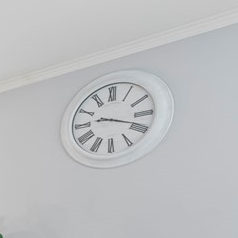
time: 9:18
